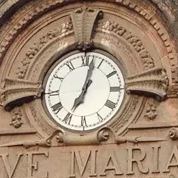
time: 7:02
